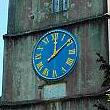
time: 12:08
